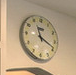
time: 11:18
